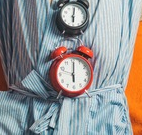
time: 6:00
